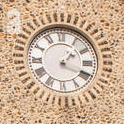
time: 1:18
